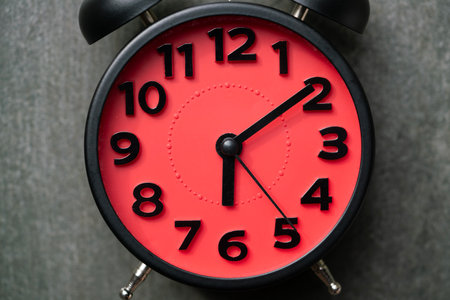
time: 6:09
